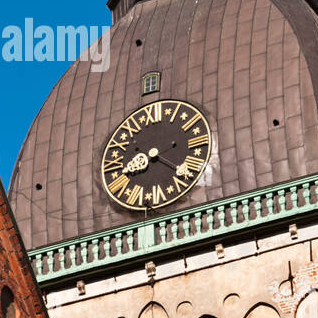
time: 8:20
